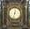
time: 12:32
